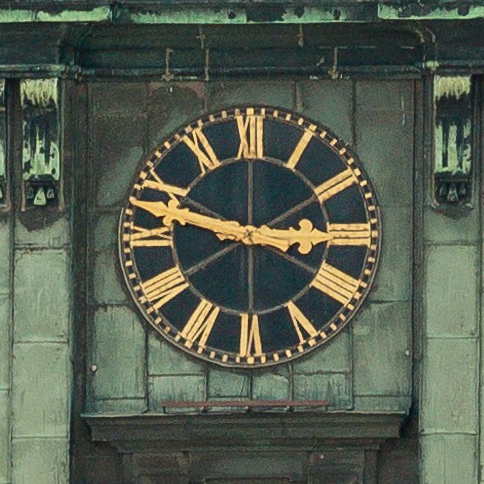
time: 2:47
